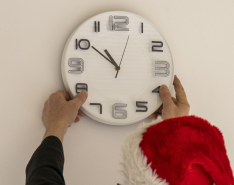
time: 10:51
